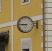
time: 8:45
